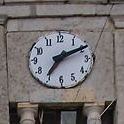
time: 7:11
